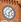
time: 6:08
